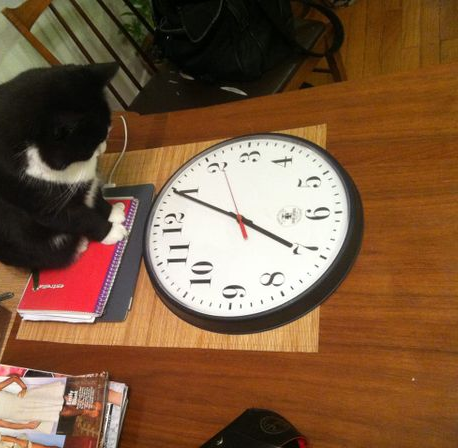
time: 3:49
